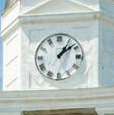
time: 1:08
